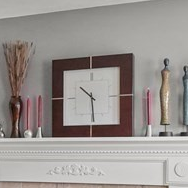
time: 10:29
